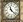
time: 11:22
